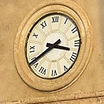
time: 3:40
